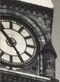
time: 10:24
